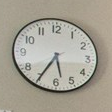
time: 5:35
